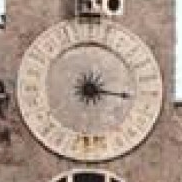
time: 3:16
